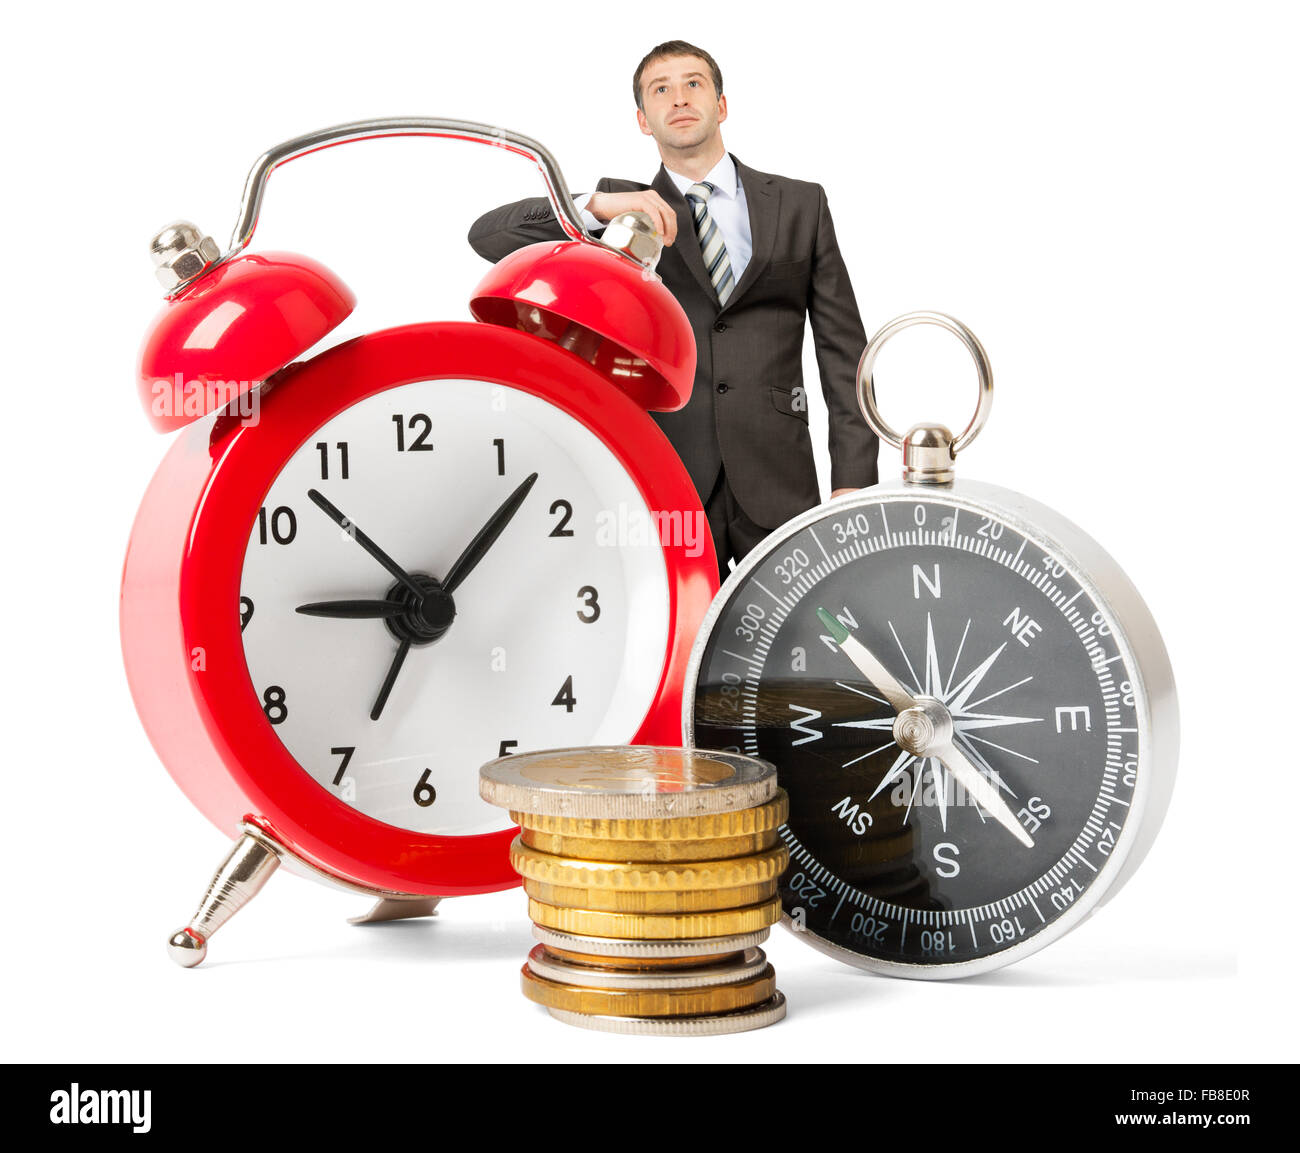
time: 9:07
